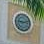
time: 9:12
